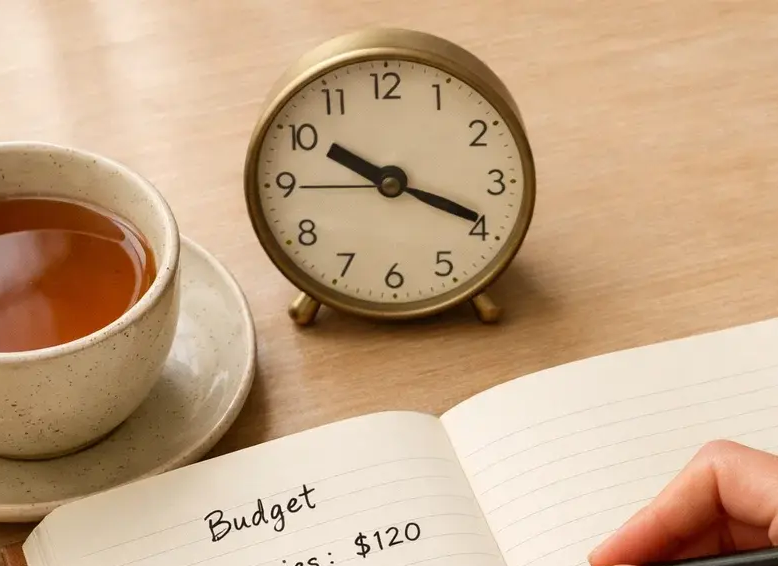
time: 10:19
